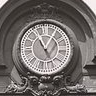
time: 11:05
